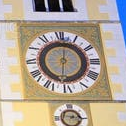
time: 6:01
